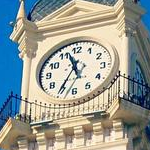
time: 11:35
